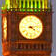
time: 4:12
